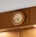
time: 5:42
